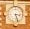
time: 3:27
